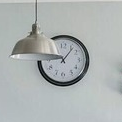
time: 9:06
